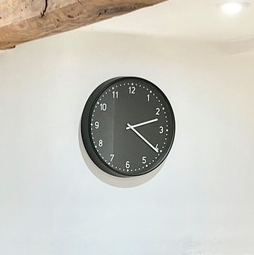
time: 2:20
